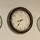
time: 8:35
